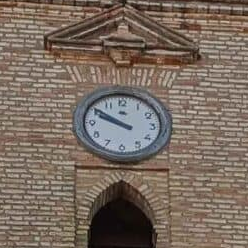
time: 9:50
